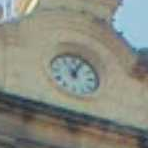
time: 11:03
